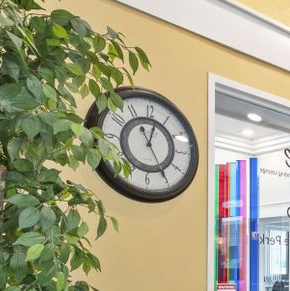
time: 12:24
